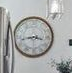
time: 3:43
